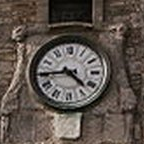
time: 4:44
